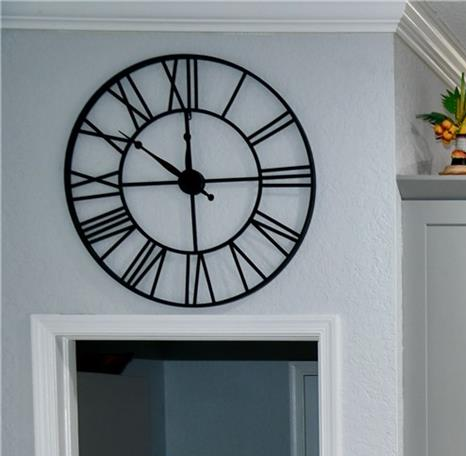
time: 10:14
